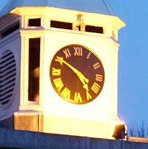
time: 4:50
